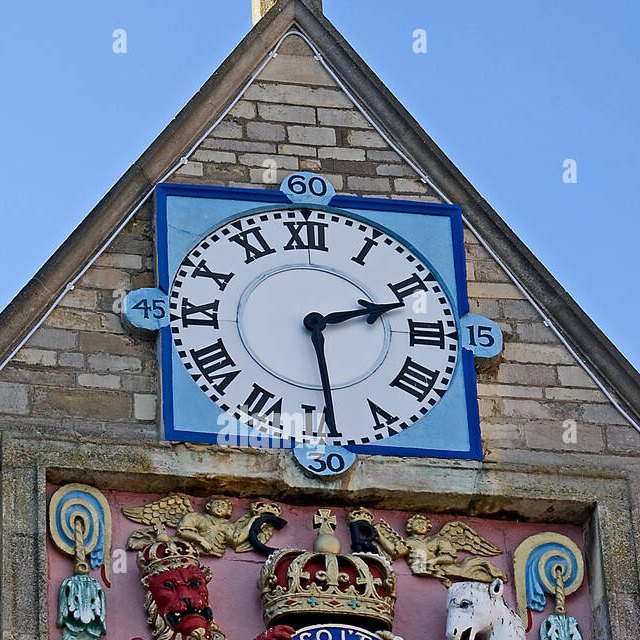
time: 2:29
